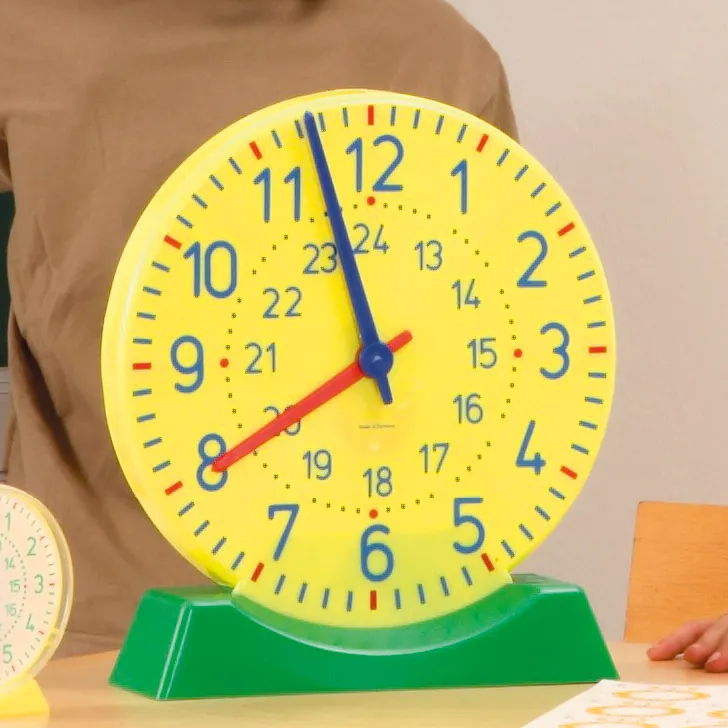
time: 7:57
